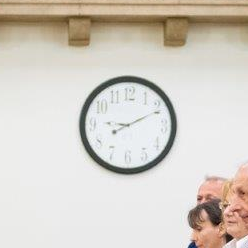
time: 9:10
